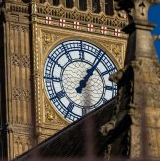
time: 1:06
